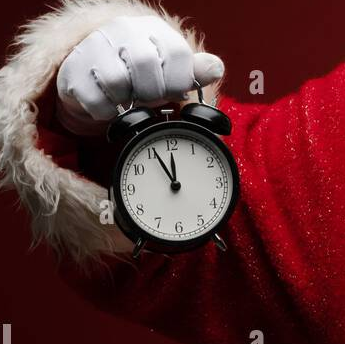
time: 11:55
